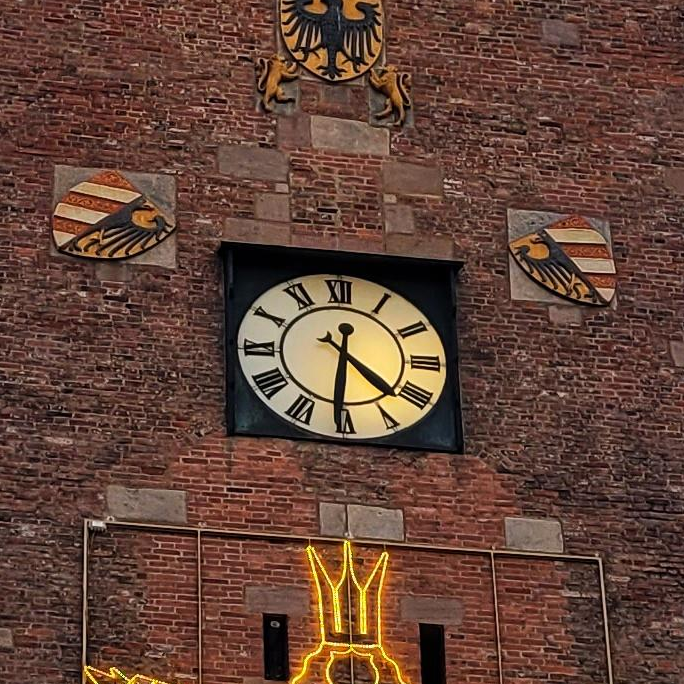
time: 4:31
